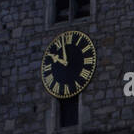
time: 9:57
